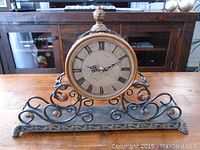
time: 9:10
